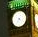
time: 4:35
